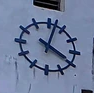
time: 4:02
